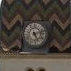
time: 5:12
